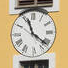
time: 11:21
